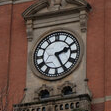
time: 2:25
